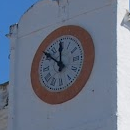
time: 11:51
